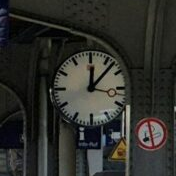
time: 12:07
